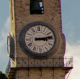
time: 3:13
